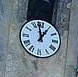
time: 12:58
